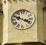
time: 3:48
